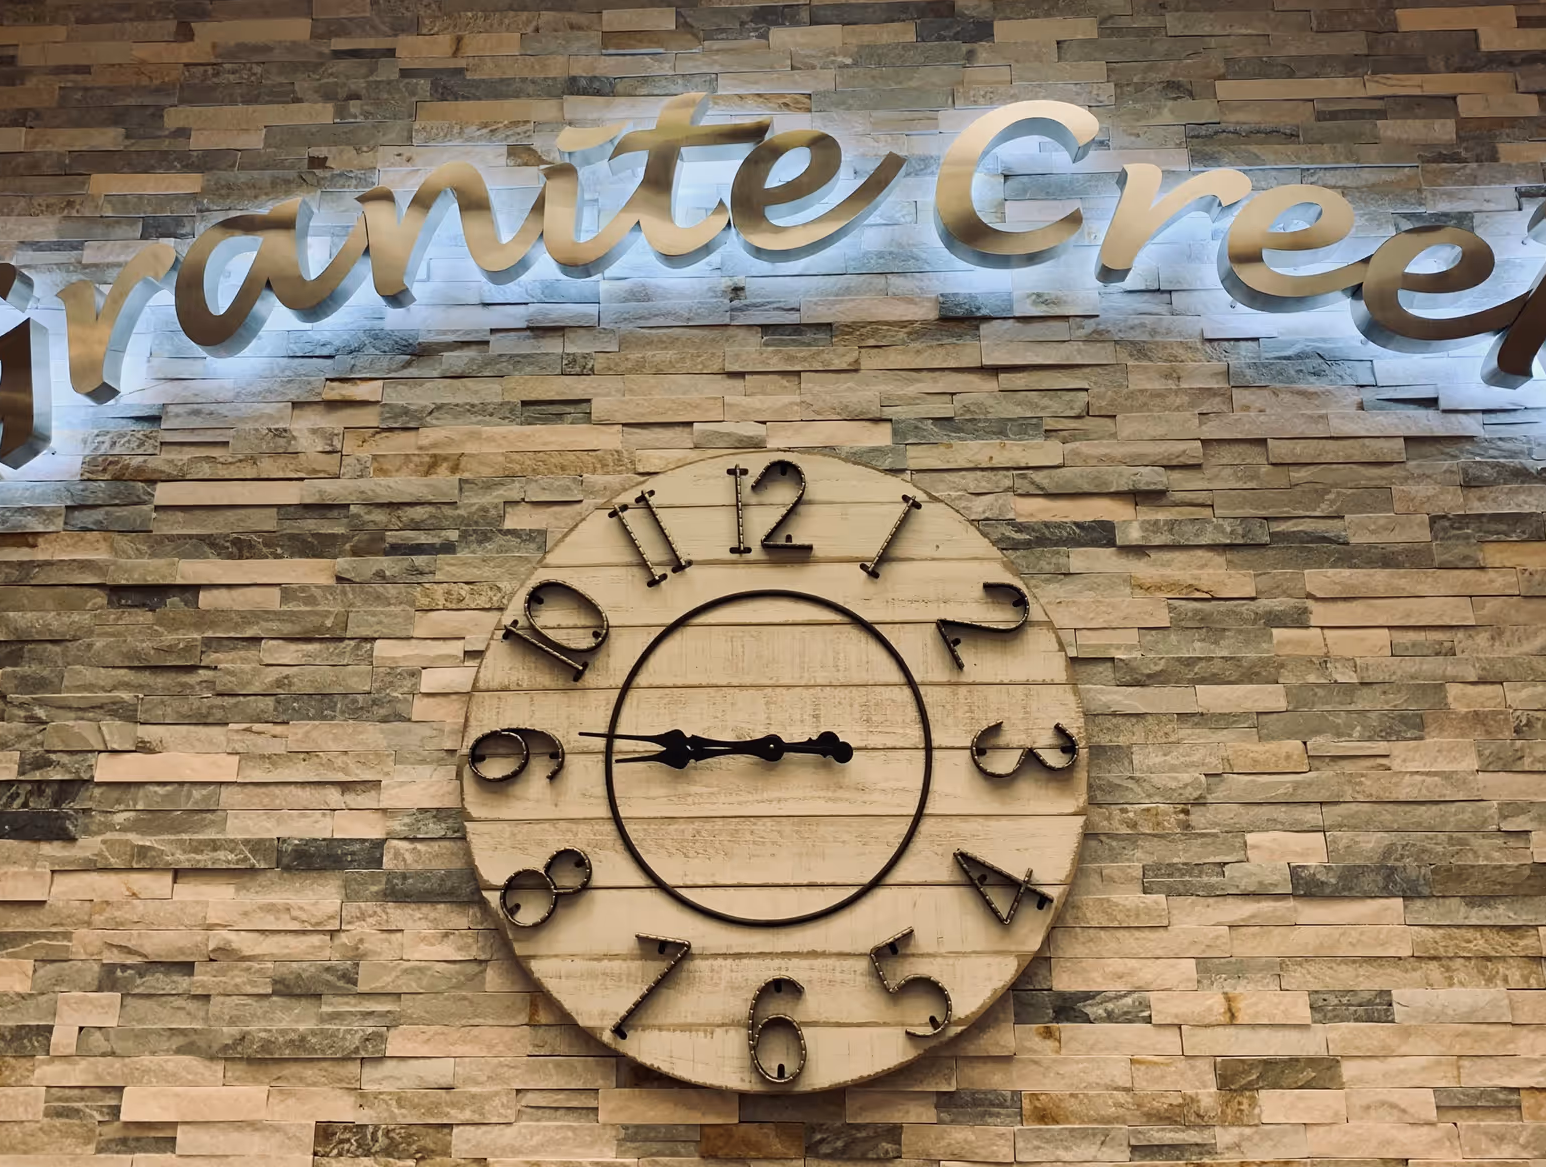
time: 8:45
